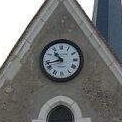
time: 10:42
